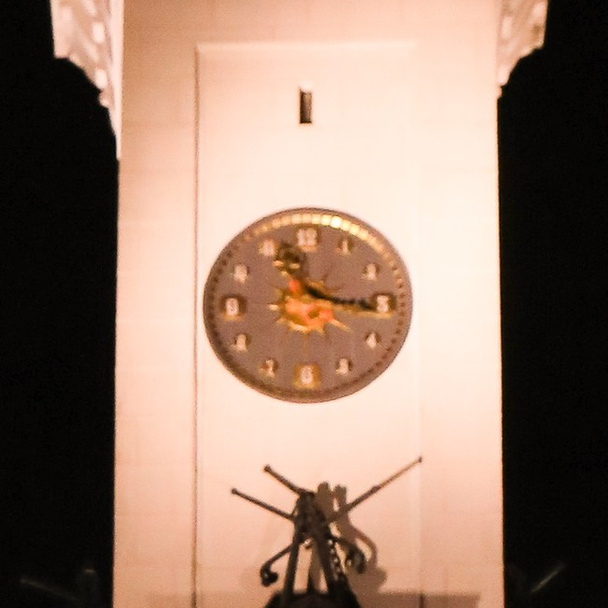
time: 11:16
